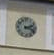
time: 2:18
